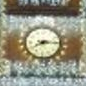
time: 8:14
